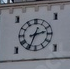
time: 2:34
